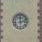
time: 12:12
